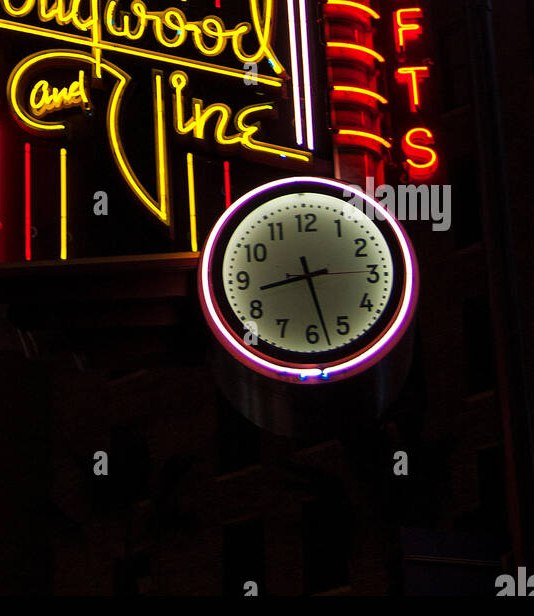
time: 8:27
